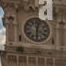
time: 12:30
